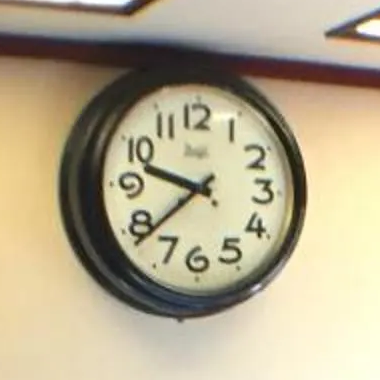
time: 9:38
